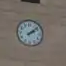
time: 2:08
